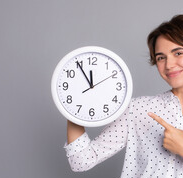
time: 11:54
